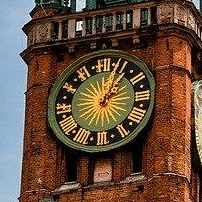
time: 1:03
